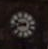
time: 9:42
